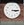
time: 3:14
